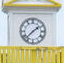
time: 1:37
